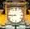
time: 8:45
